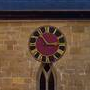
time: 2:54
